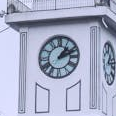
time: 1:11
